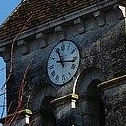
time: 11:16
